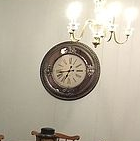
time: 6:43
